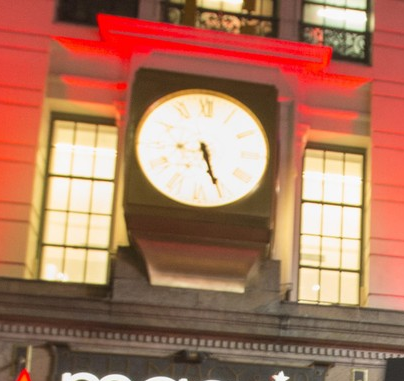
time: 5:26
